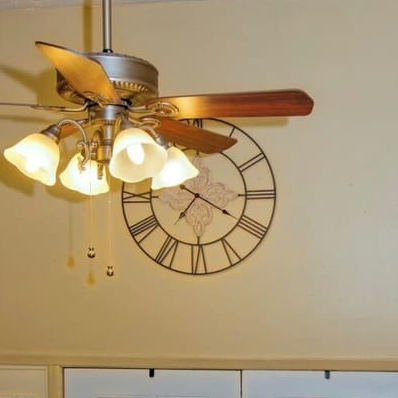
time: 7:19
